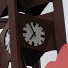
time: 6:54
